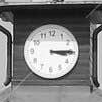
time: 3:14
